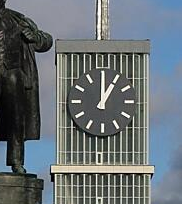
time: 1:00
